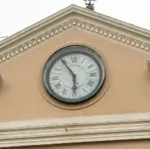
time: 5:54
